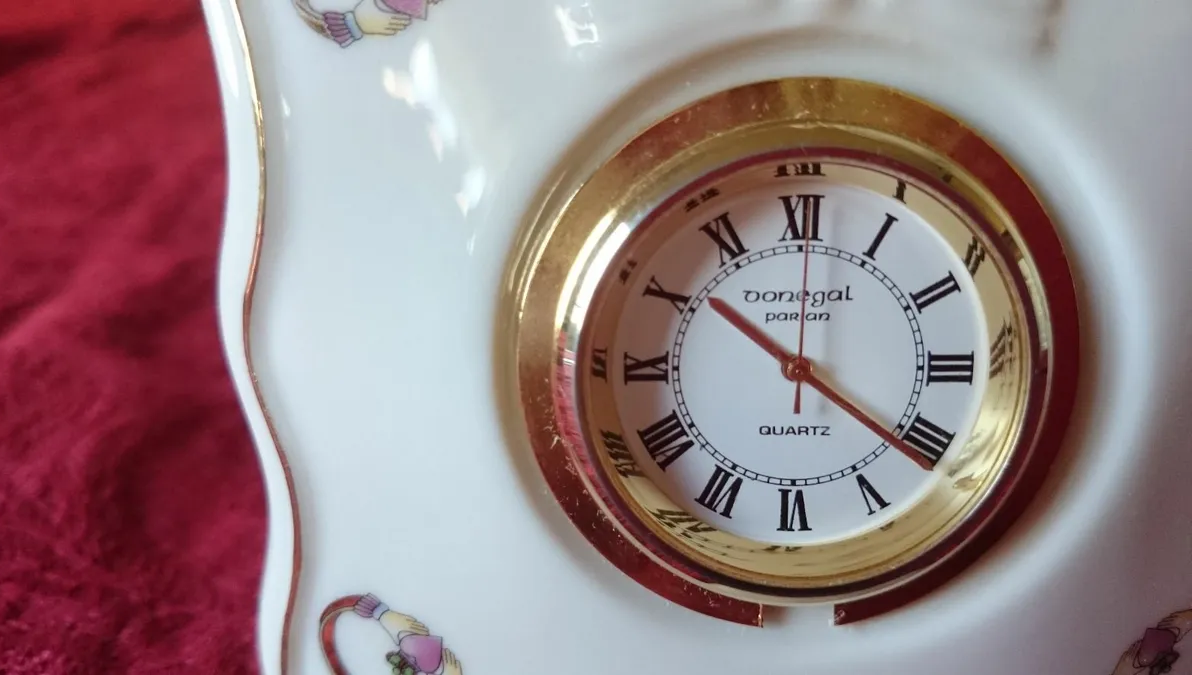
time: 12:21
